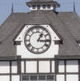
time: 1:16
